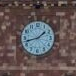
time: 1:42
